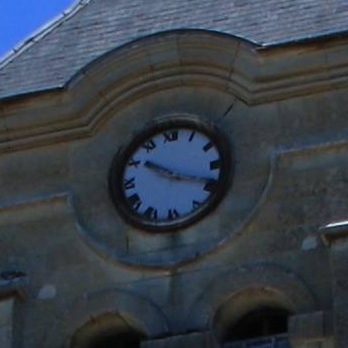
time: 10:18
